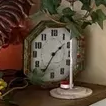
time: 1:34
